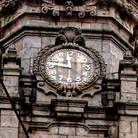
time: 11:46
